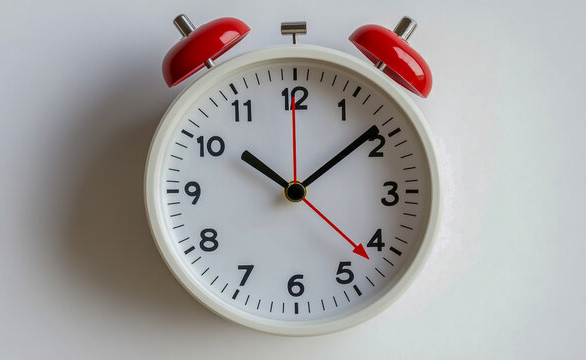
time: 10:08
